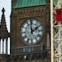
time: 1:59
